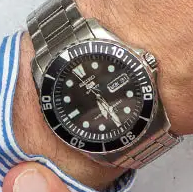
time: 5:24
